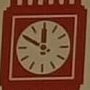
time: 10:00
